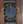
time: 12:59
